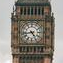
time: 4:42
